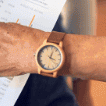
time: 4:02
